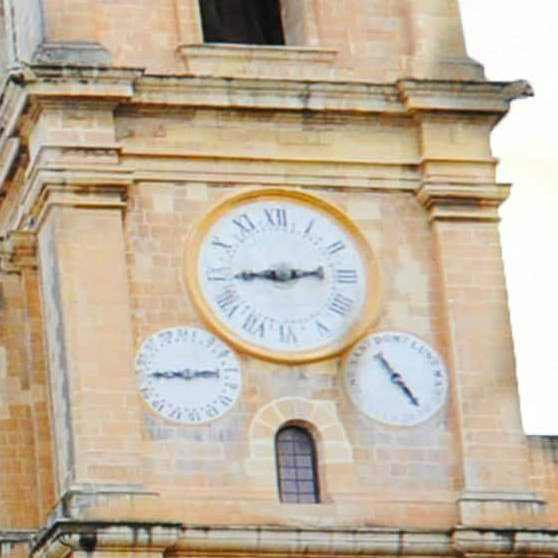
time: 2:44
